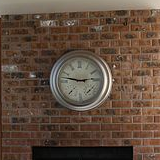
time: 2:47
